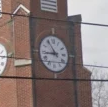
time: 8:54
